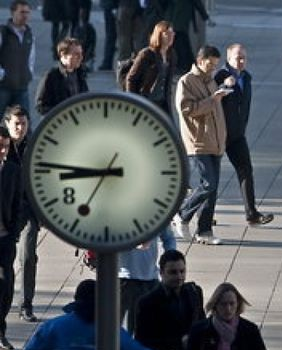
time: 8:46
